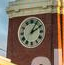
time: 2:05
